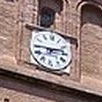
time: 2:45
